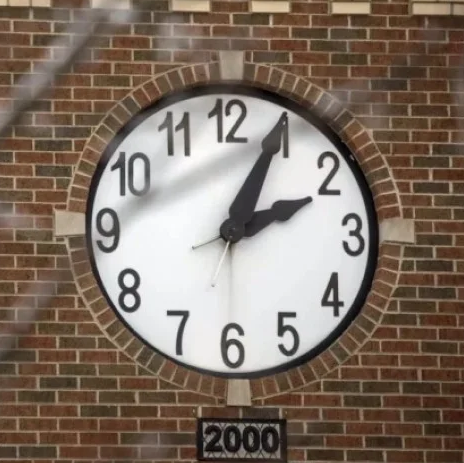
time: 2:04
